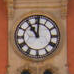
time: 11:00
